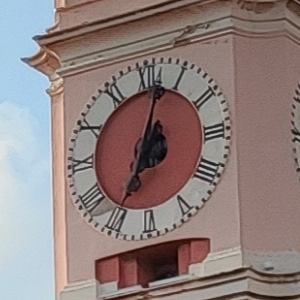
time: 7:02
